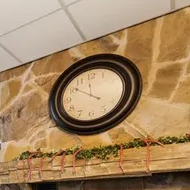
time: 11:50
